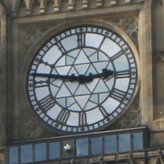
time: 2:46
